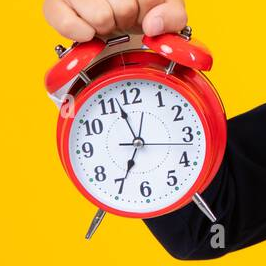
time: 6:57
